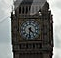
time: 4:31
